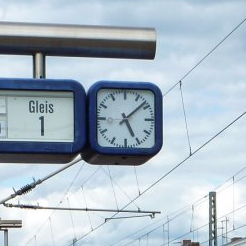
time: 5:08
